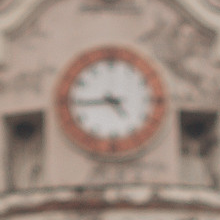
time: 4:44
